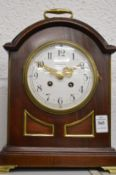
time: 1:50
